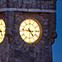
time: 4:46
